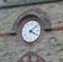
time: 4:08
